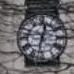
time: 12:32
